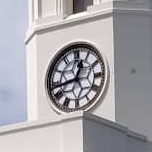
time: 12:43
